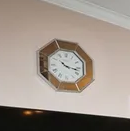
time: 10:17
